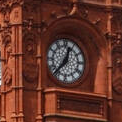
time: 12:37
